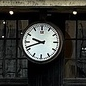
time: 9:41
